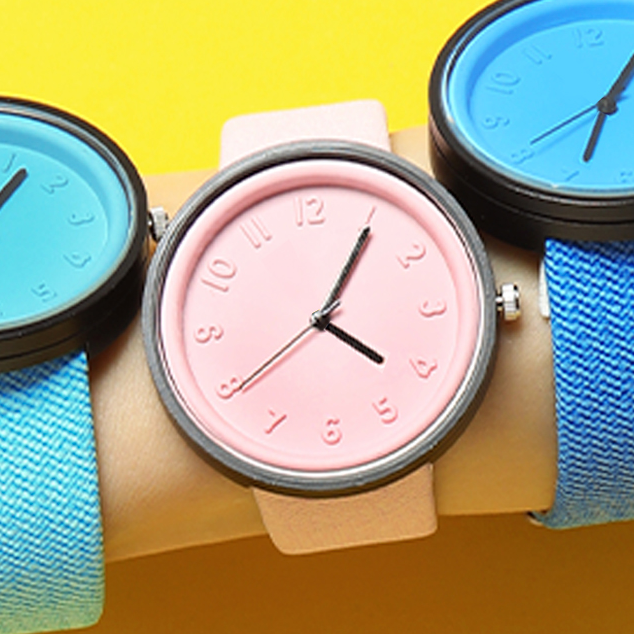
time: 4:05
